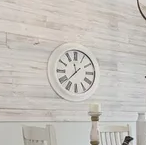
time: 11:37
